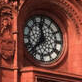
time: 11:37
